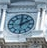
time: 2:00
